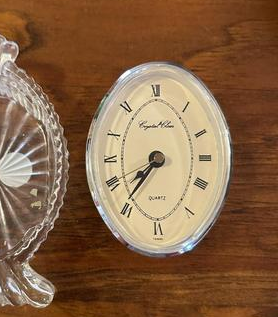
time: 7:36
